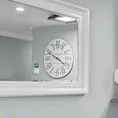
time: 3:48
